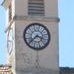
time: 3:37
